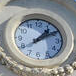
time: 1:09
